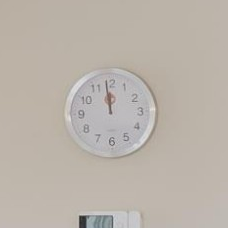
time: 11:58
